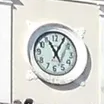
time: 11:05
